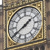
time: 1:39
